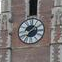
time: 1:36
